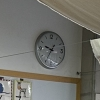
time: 9:35
